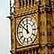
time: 11:51
